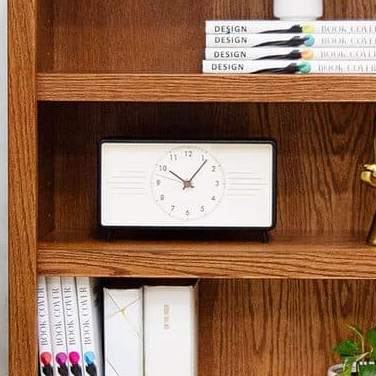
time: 10:06
